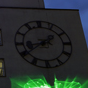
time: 8:39
